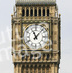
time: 11:07
